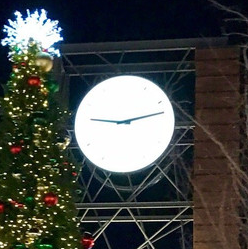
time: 9:12
